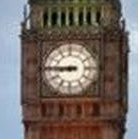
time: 8:45
